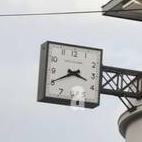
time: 3:40
